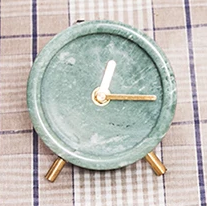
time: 12:14
